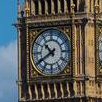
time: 10:39
